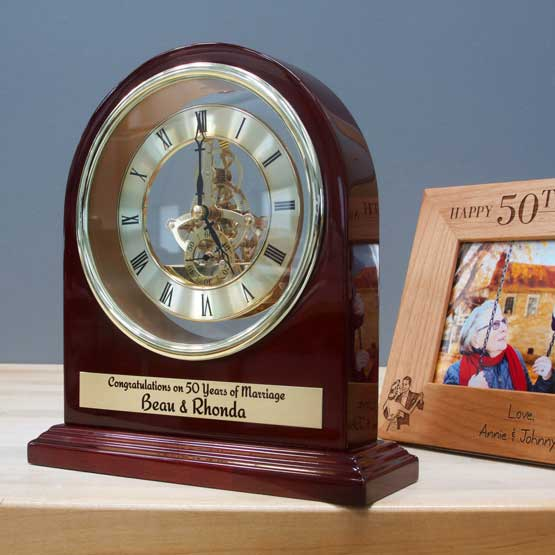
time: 5:00
